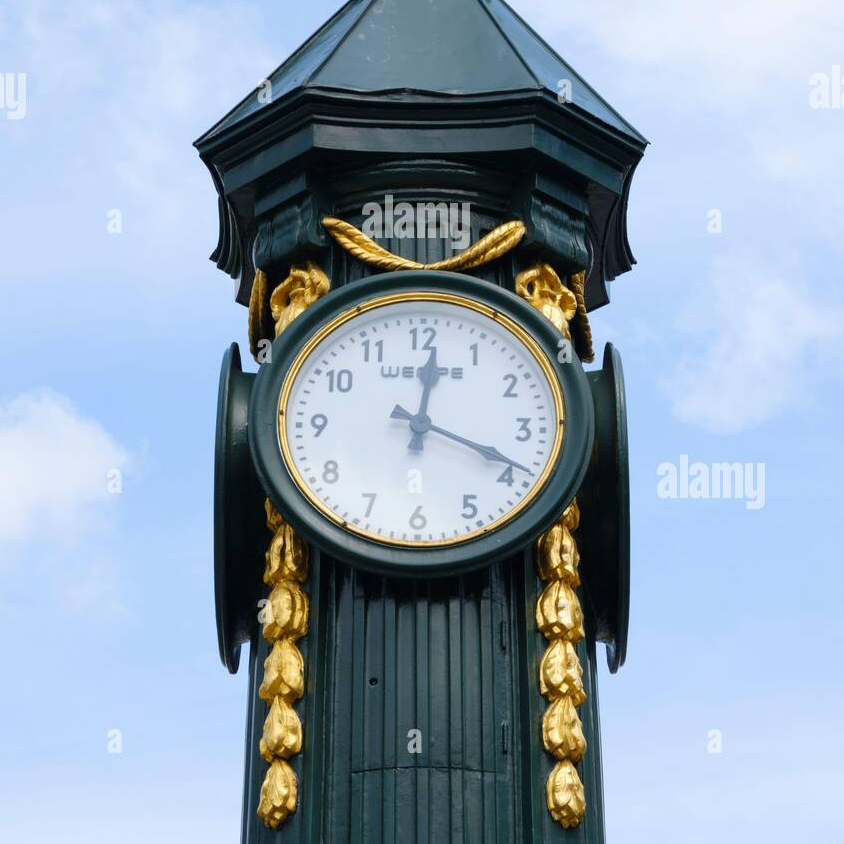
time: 12:18
